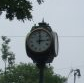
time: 12:14
